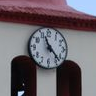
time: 11:23
